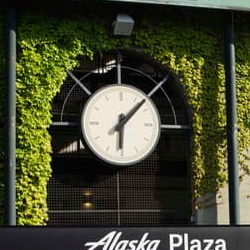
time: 6:07
